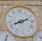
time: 8:11
